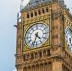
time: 4:33
